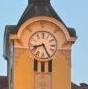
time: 8:25
